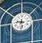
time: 9:28
